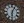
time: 6:05
